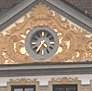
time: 4:35
